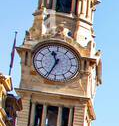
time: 11:34
